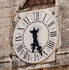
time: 6:26
